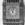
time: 11:02
